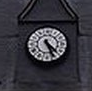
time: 4:26
